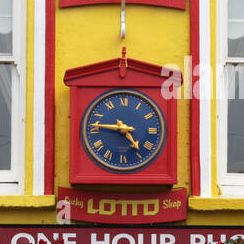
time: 4:46
